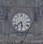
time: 5:38
